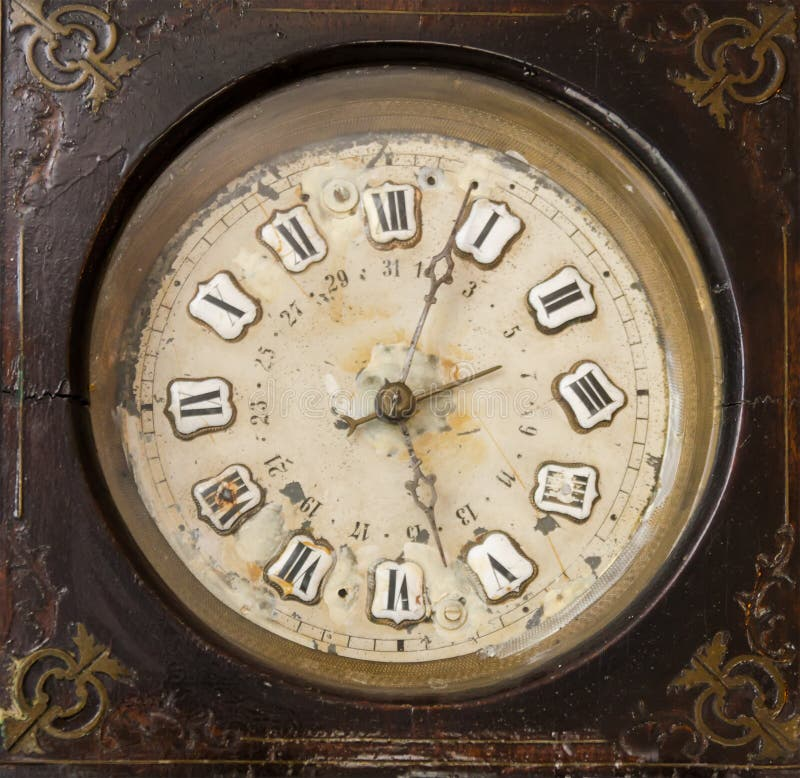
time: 2:03
